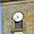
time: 10:37
